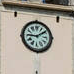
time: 9:09
